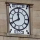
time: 11:40
